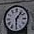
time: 1:29
